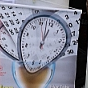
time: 1:02
